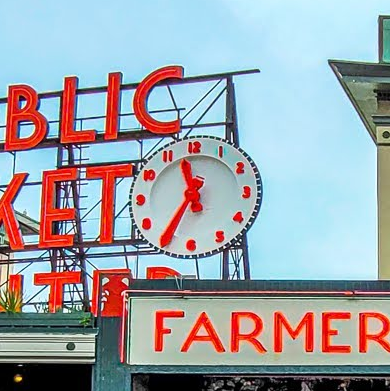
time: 11:35
